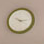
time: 10:14
